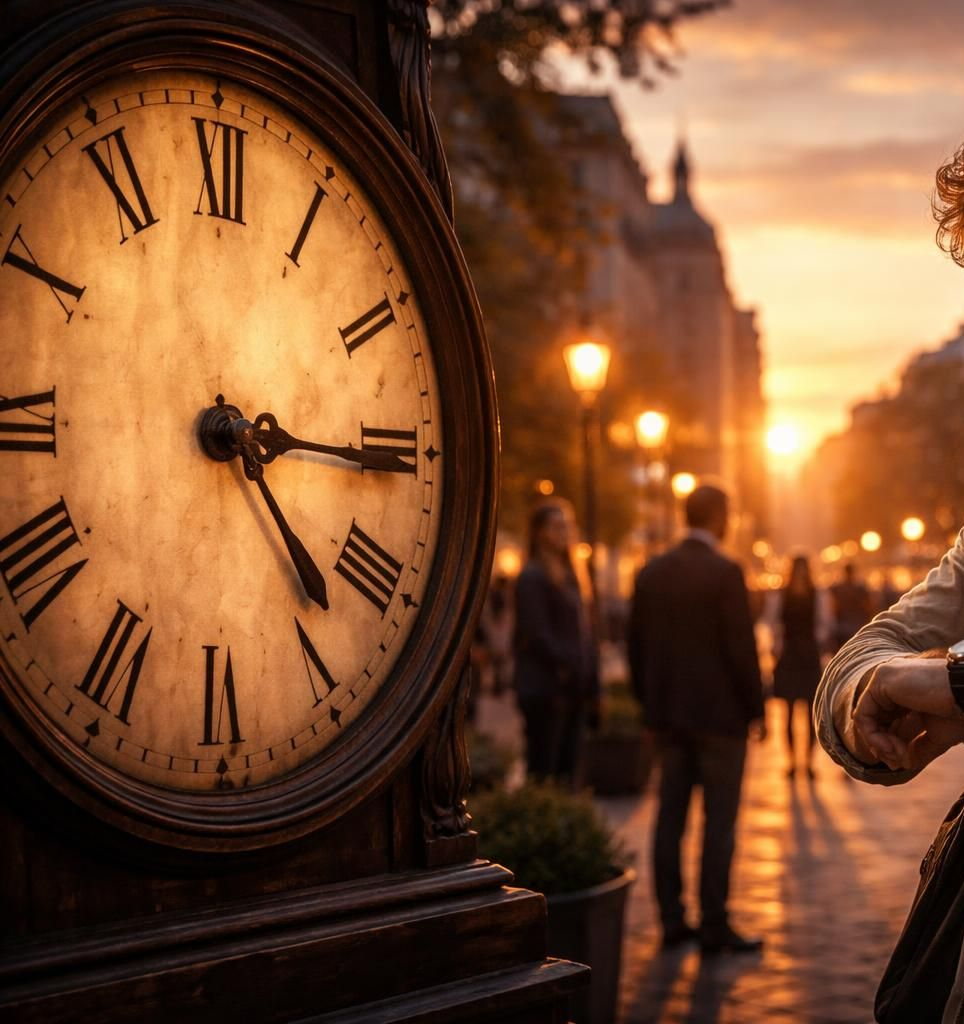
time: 4:15
